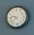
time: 9:38
